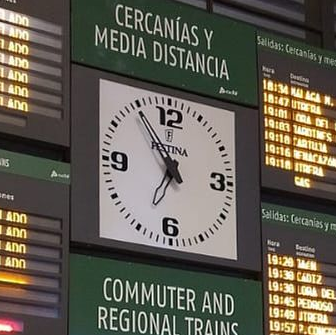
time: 6:54
